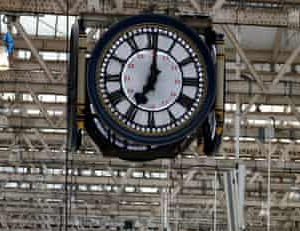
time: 7:00
